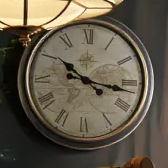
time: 10:16
